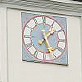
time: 1:26
